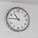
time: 10:45
